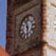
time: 11:28
